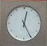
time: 12:25
